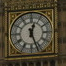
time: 12:26
